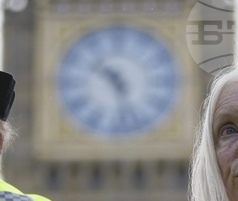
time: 10:27
